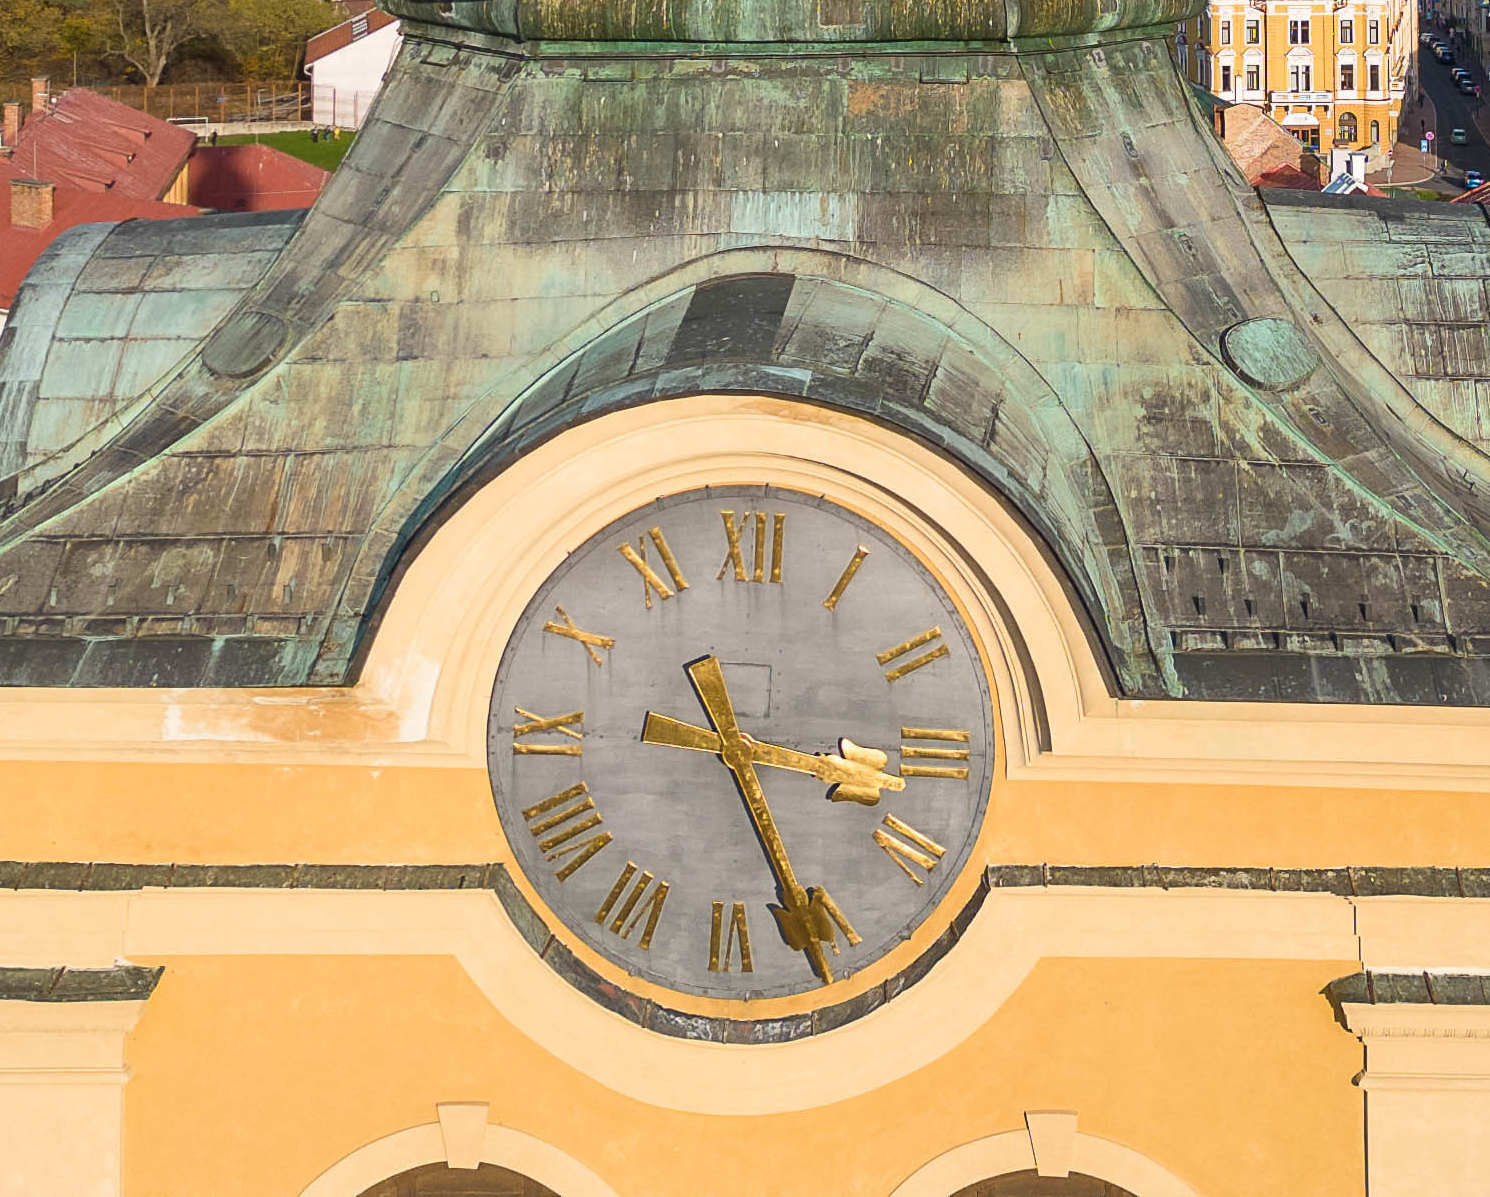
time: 3:25
